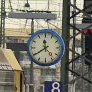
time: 11:39
